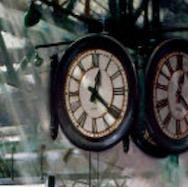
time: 12:21
